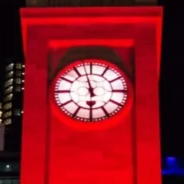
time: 5:57
